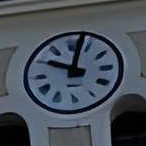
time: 10:02
